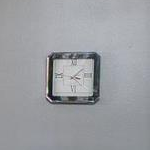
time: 3:07
